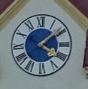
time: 4:08
